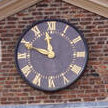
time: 11:48
